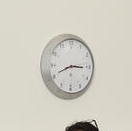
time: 8:15
